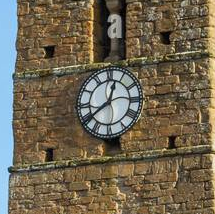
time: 12:39
